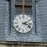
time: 2:18
